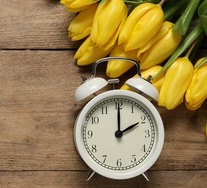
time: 2:00
